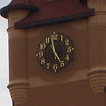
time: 11:25
